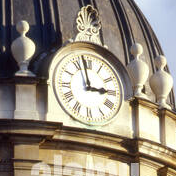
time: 2:58
